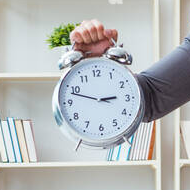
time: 2:48
